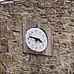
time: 3:46
